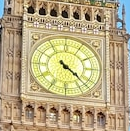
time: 4:22
